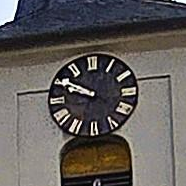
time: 9:50
